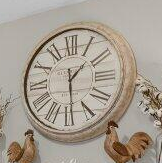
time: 1:29
